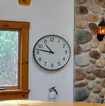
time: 10:47
